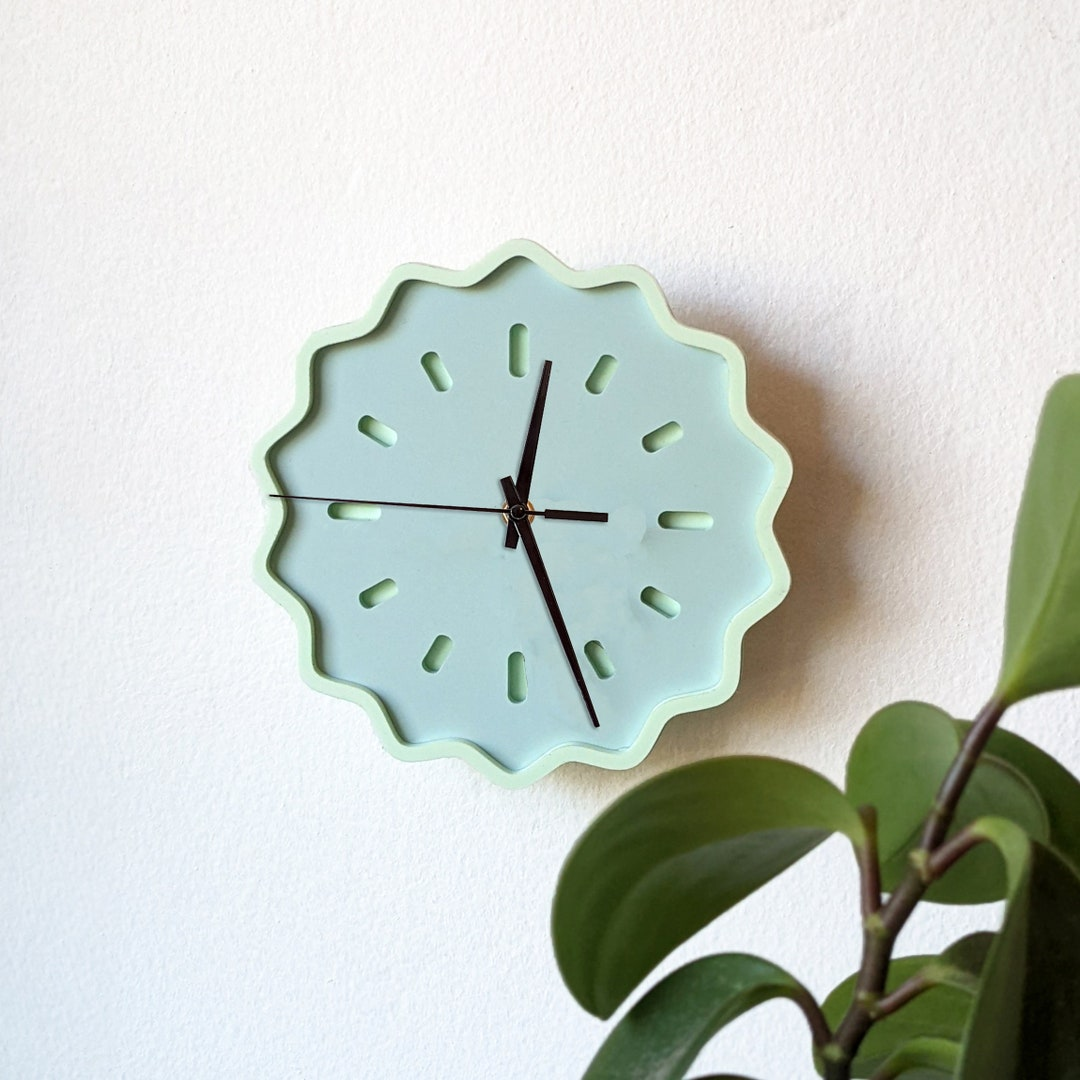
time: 12:26
